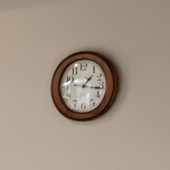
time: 1:16
